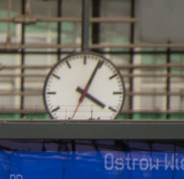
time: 4:04
